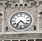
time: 7:22
